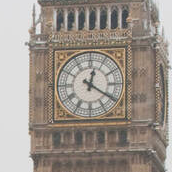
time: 12:20
